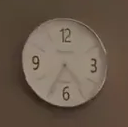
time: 4:34
